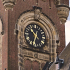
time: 10:32
